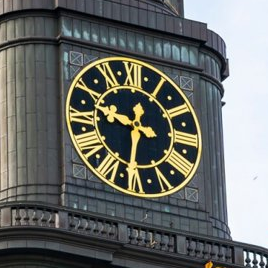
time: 9:31
